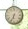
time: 6:34
